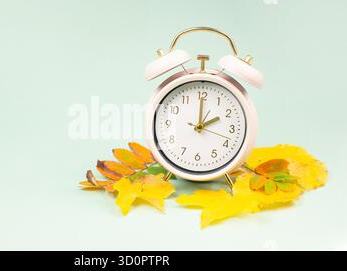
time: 2:00
